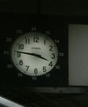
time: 3:46
